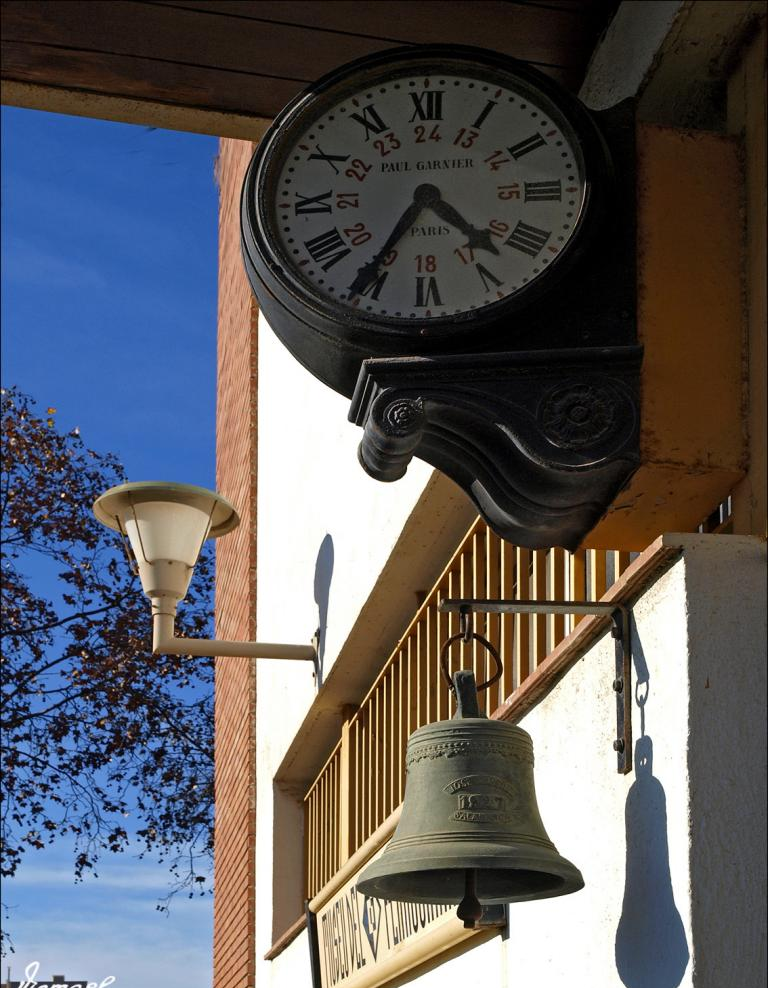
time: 4:35
